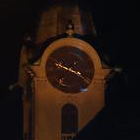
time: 3:48
